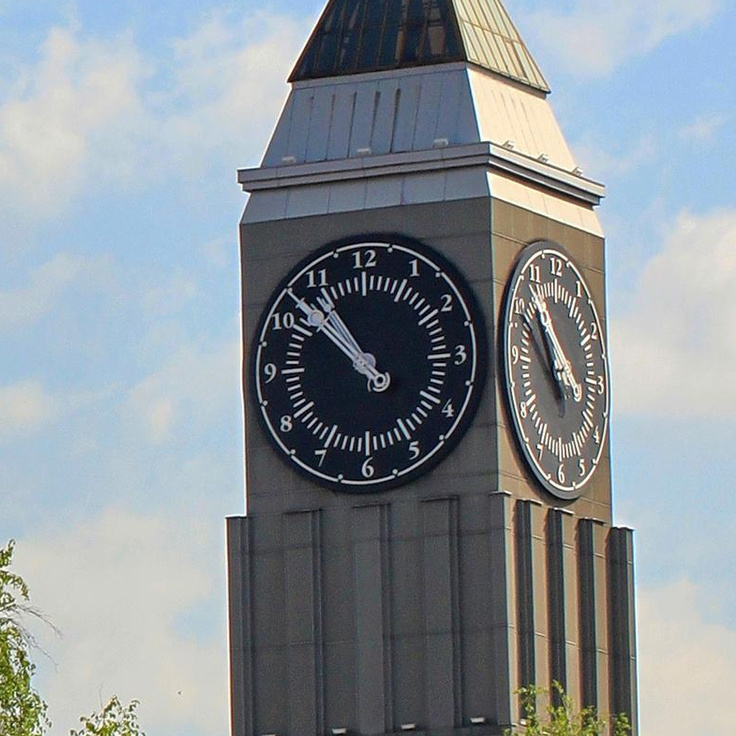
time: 10:52
